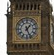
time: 1:26
